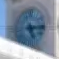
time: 5:14
